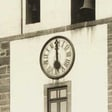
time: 5:59
